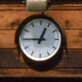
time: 12:45
